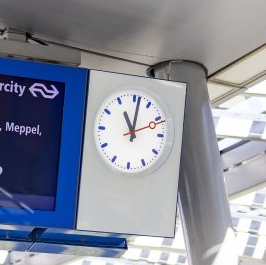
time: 11:01
